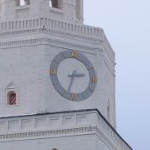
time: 2:33
